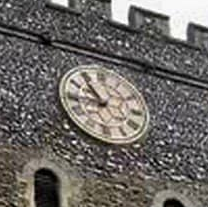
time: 10:45
